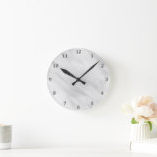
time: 10:08
